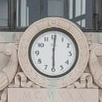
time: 6:00
